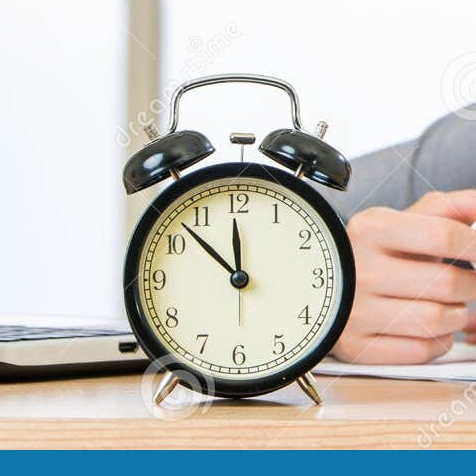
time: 11:52
